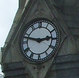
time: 2:47
